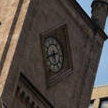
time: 5:41
